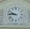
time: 9:45
